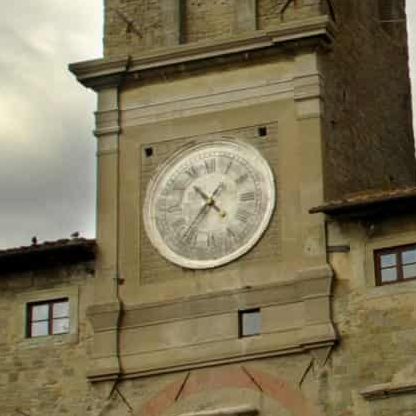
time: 4:36
